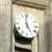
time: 4:59
